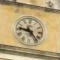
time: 9:23
